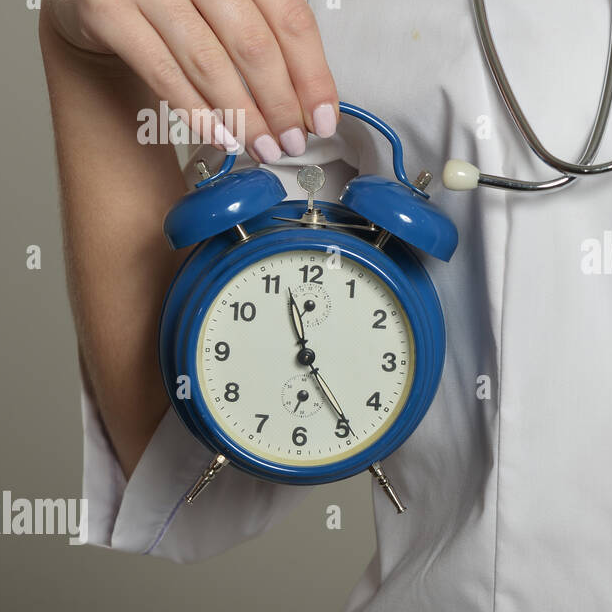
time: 11:24
